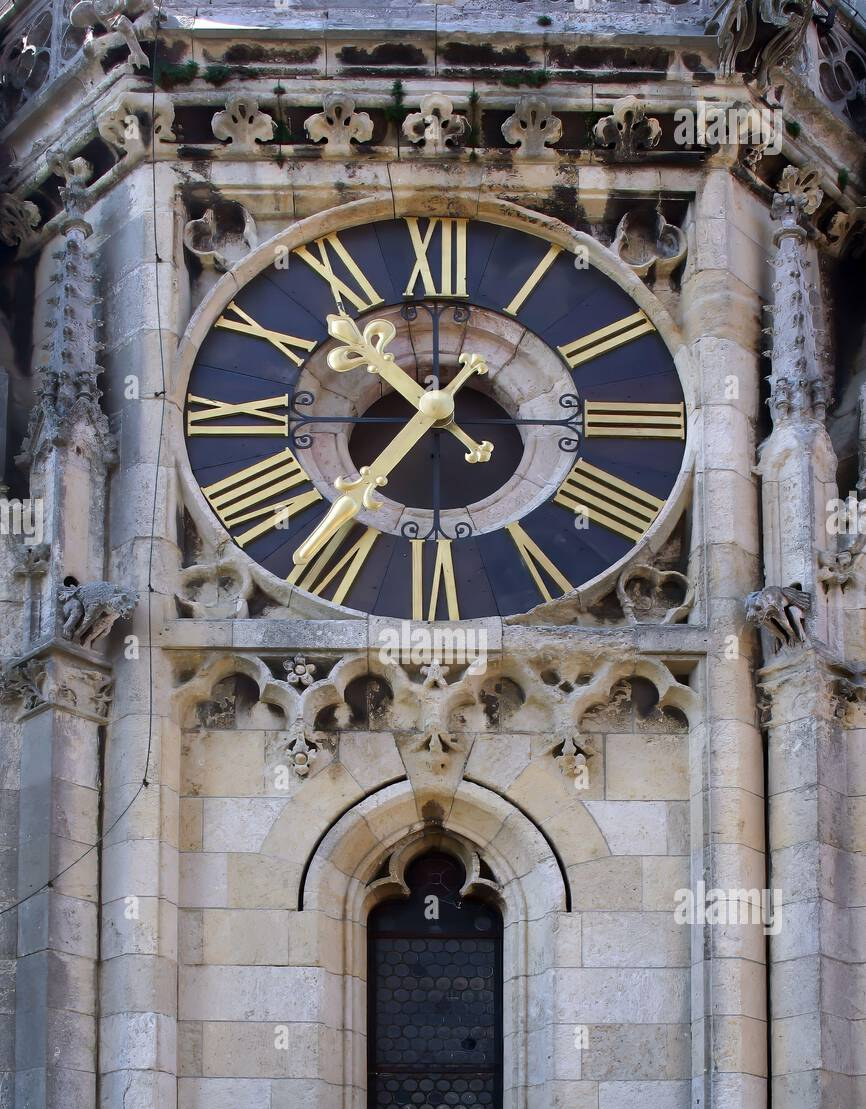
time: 10:36
